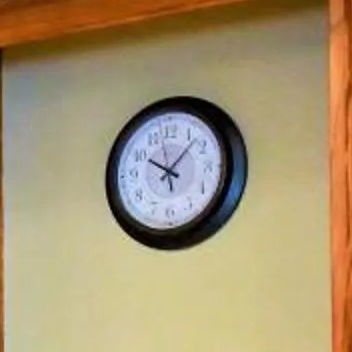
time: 10:07
